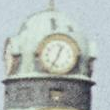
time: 12:33
